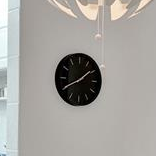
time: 1:40
